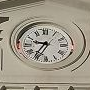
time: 9:35
